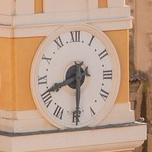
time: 8:29
